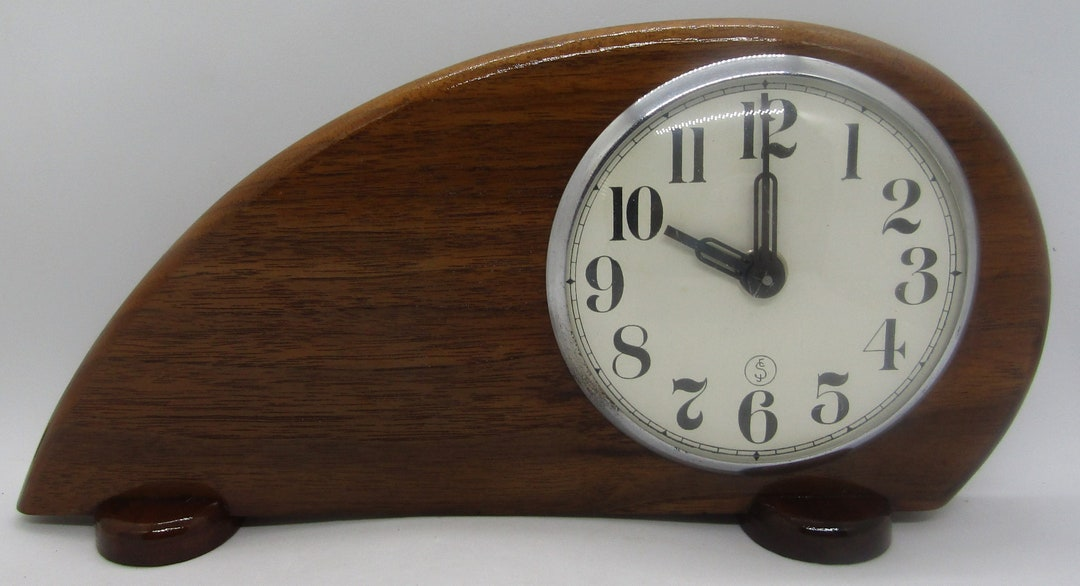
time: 10:00
